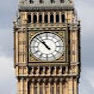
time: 10:52
